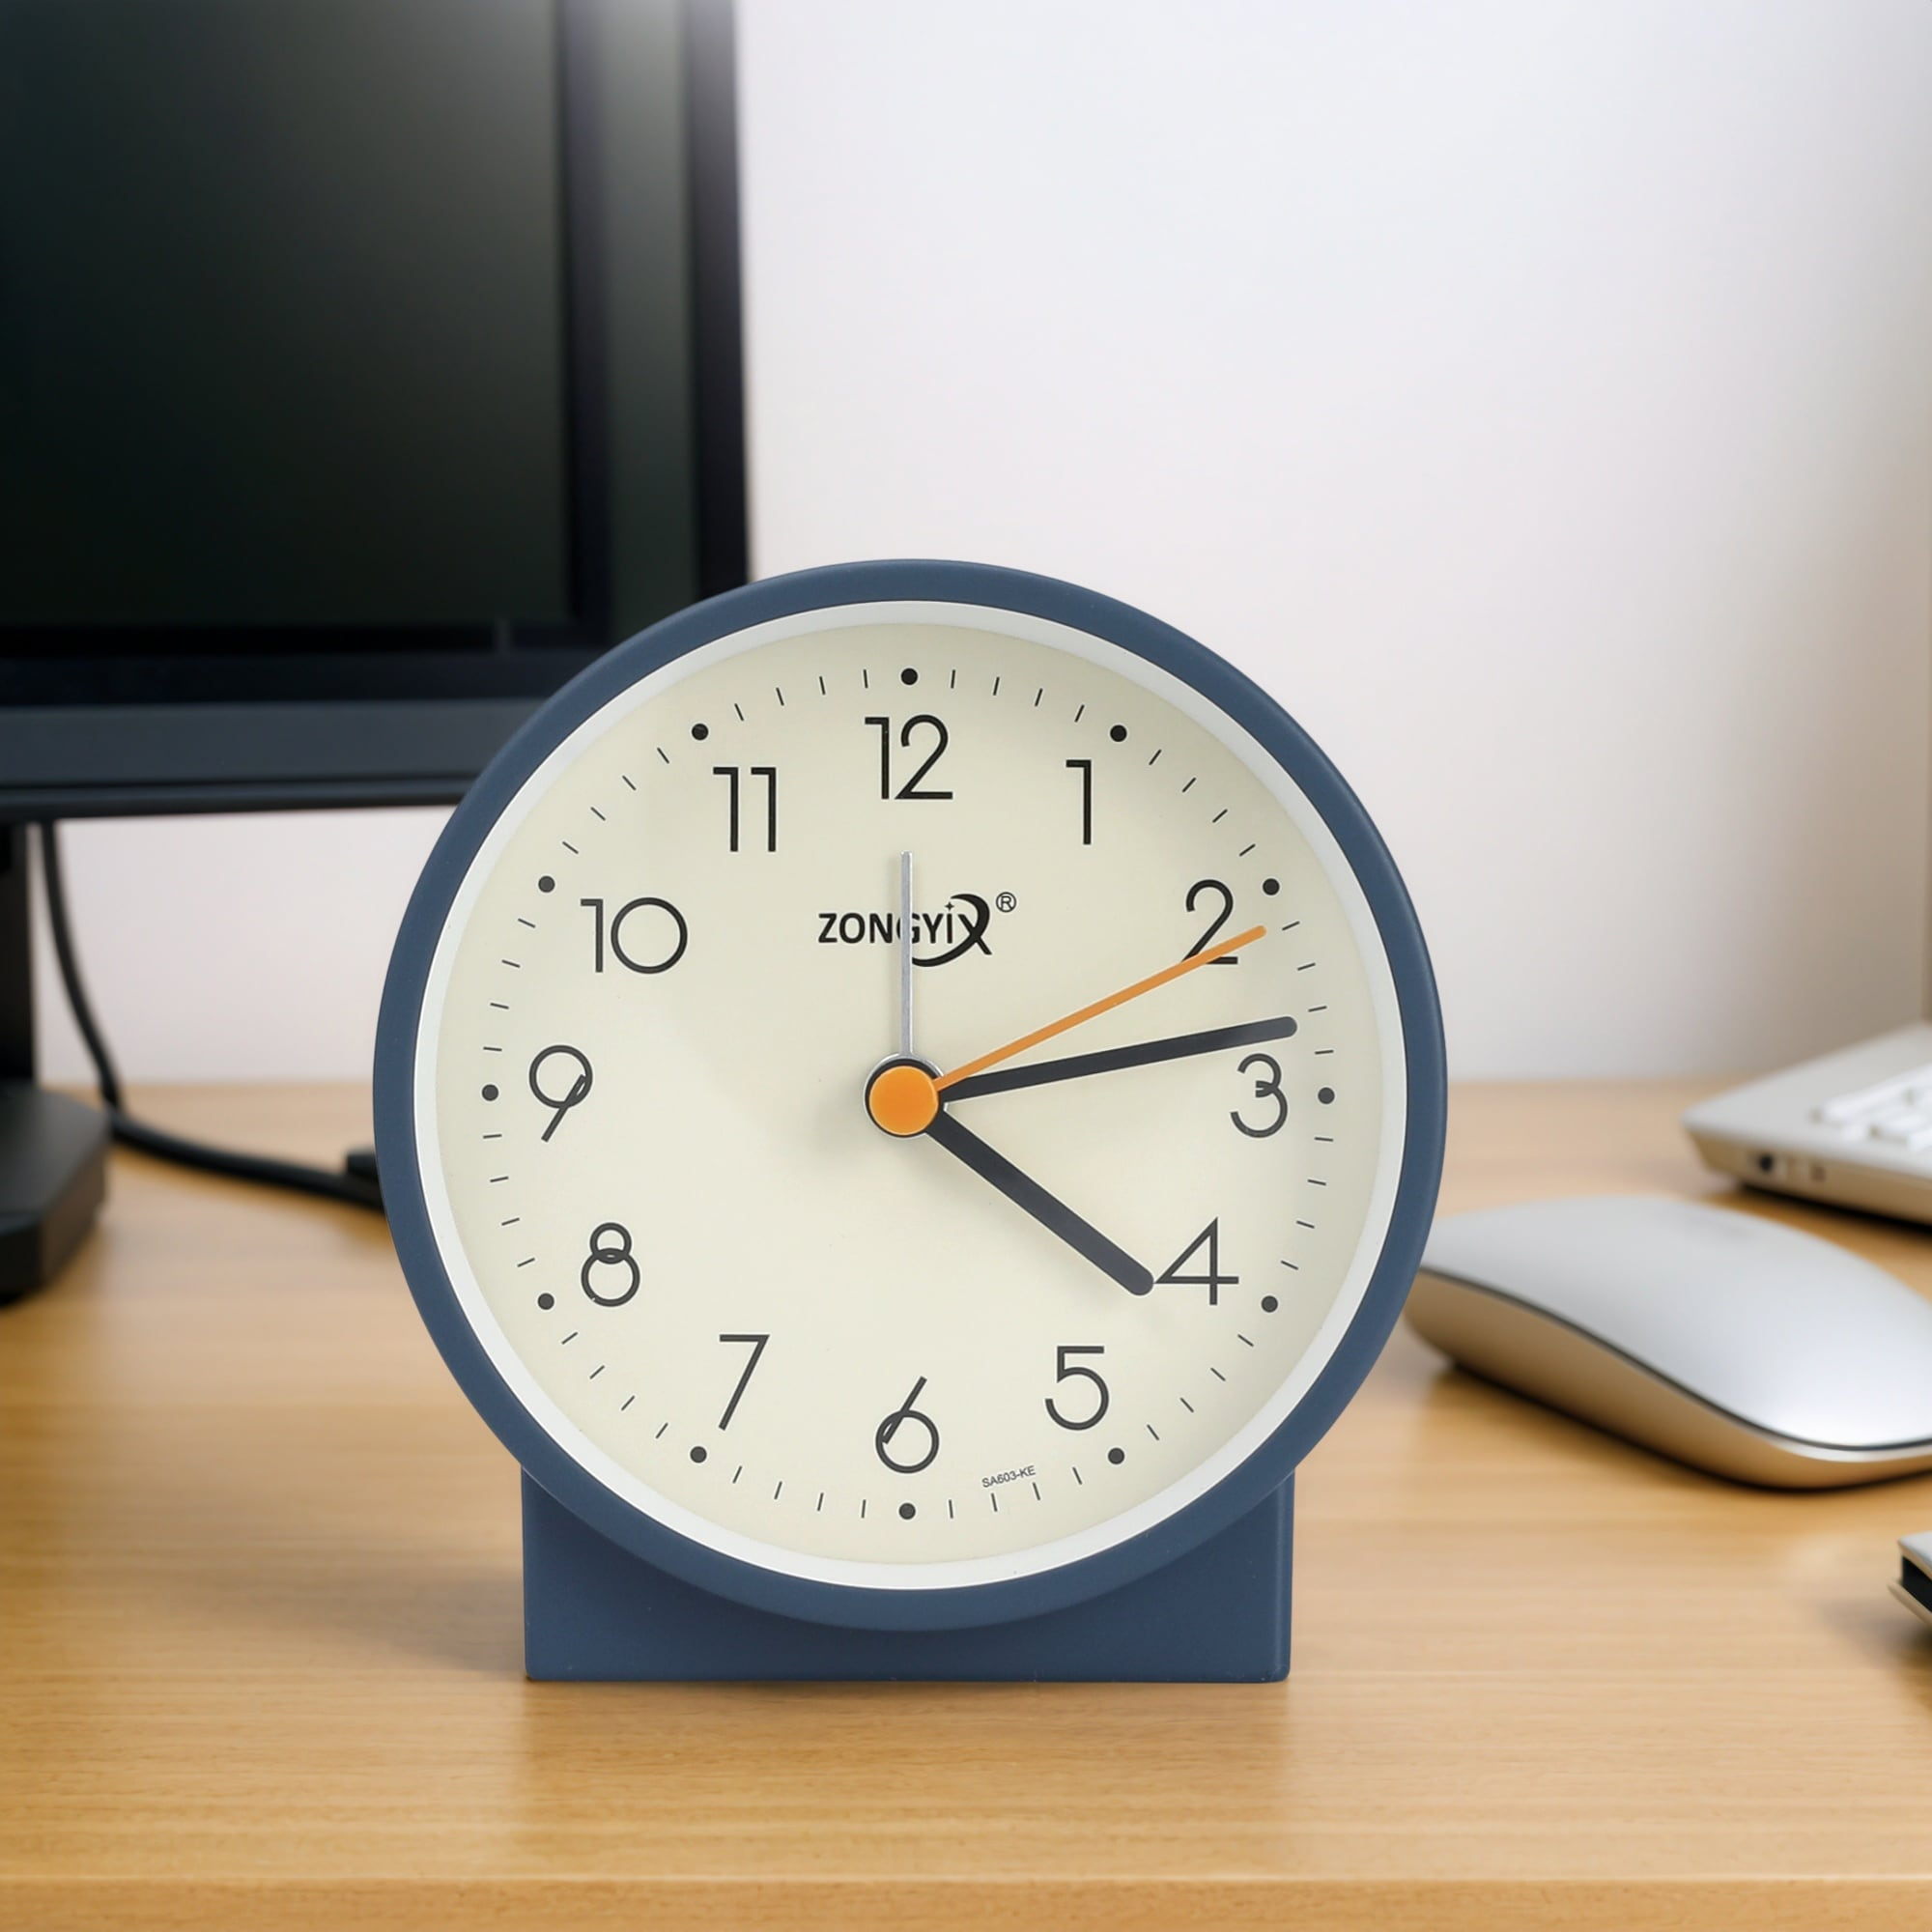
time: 4:13
